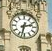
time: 2:32
